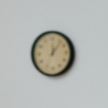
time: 12:06
